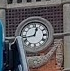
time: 12:42
